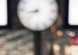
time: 8:37
